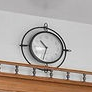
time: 10:32
